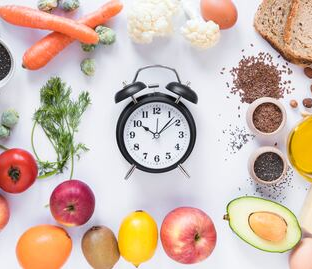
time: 10:07
